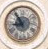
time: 8:54
